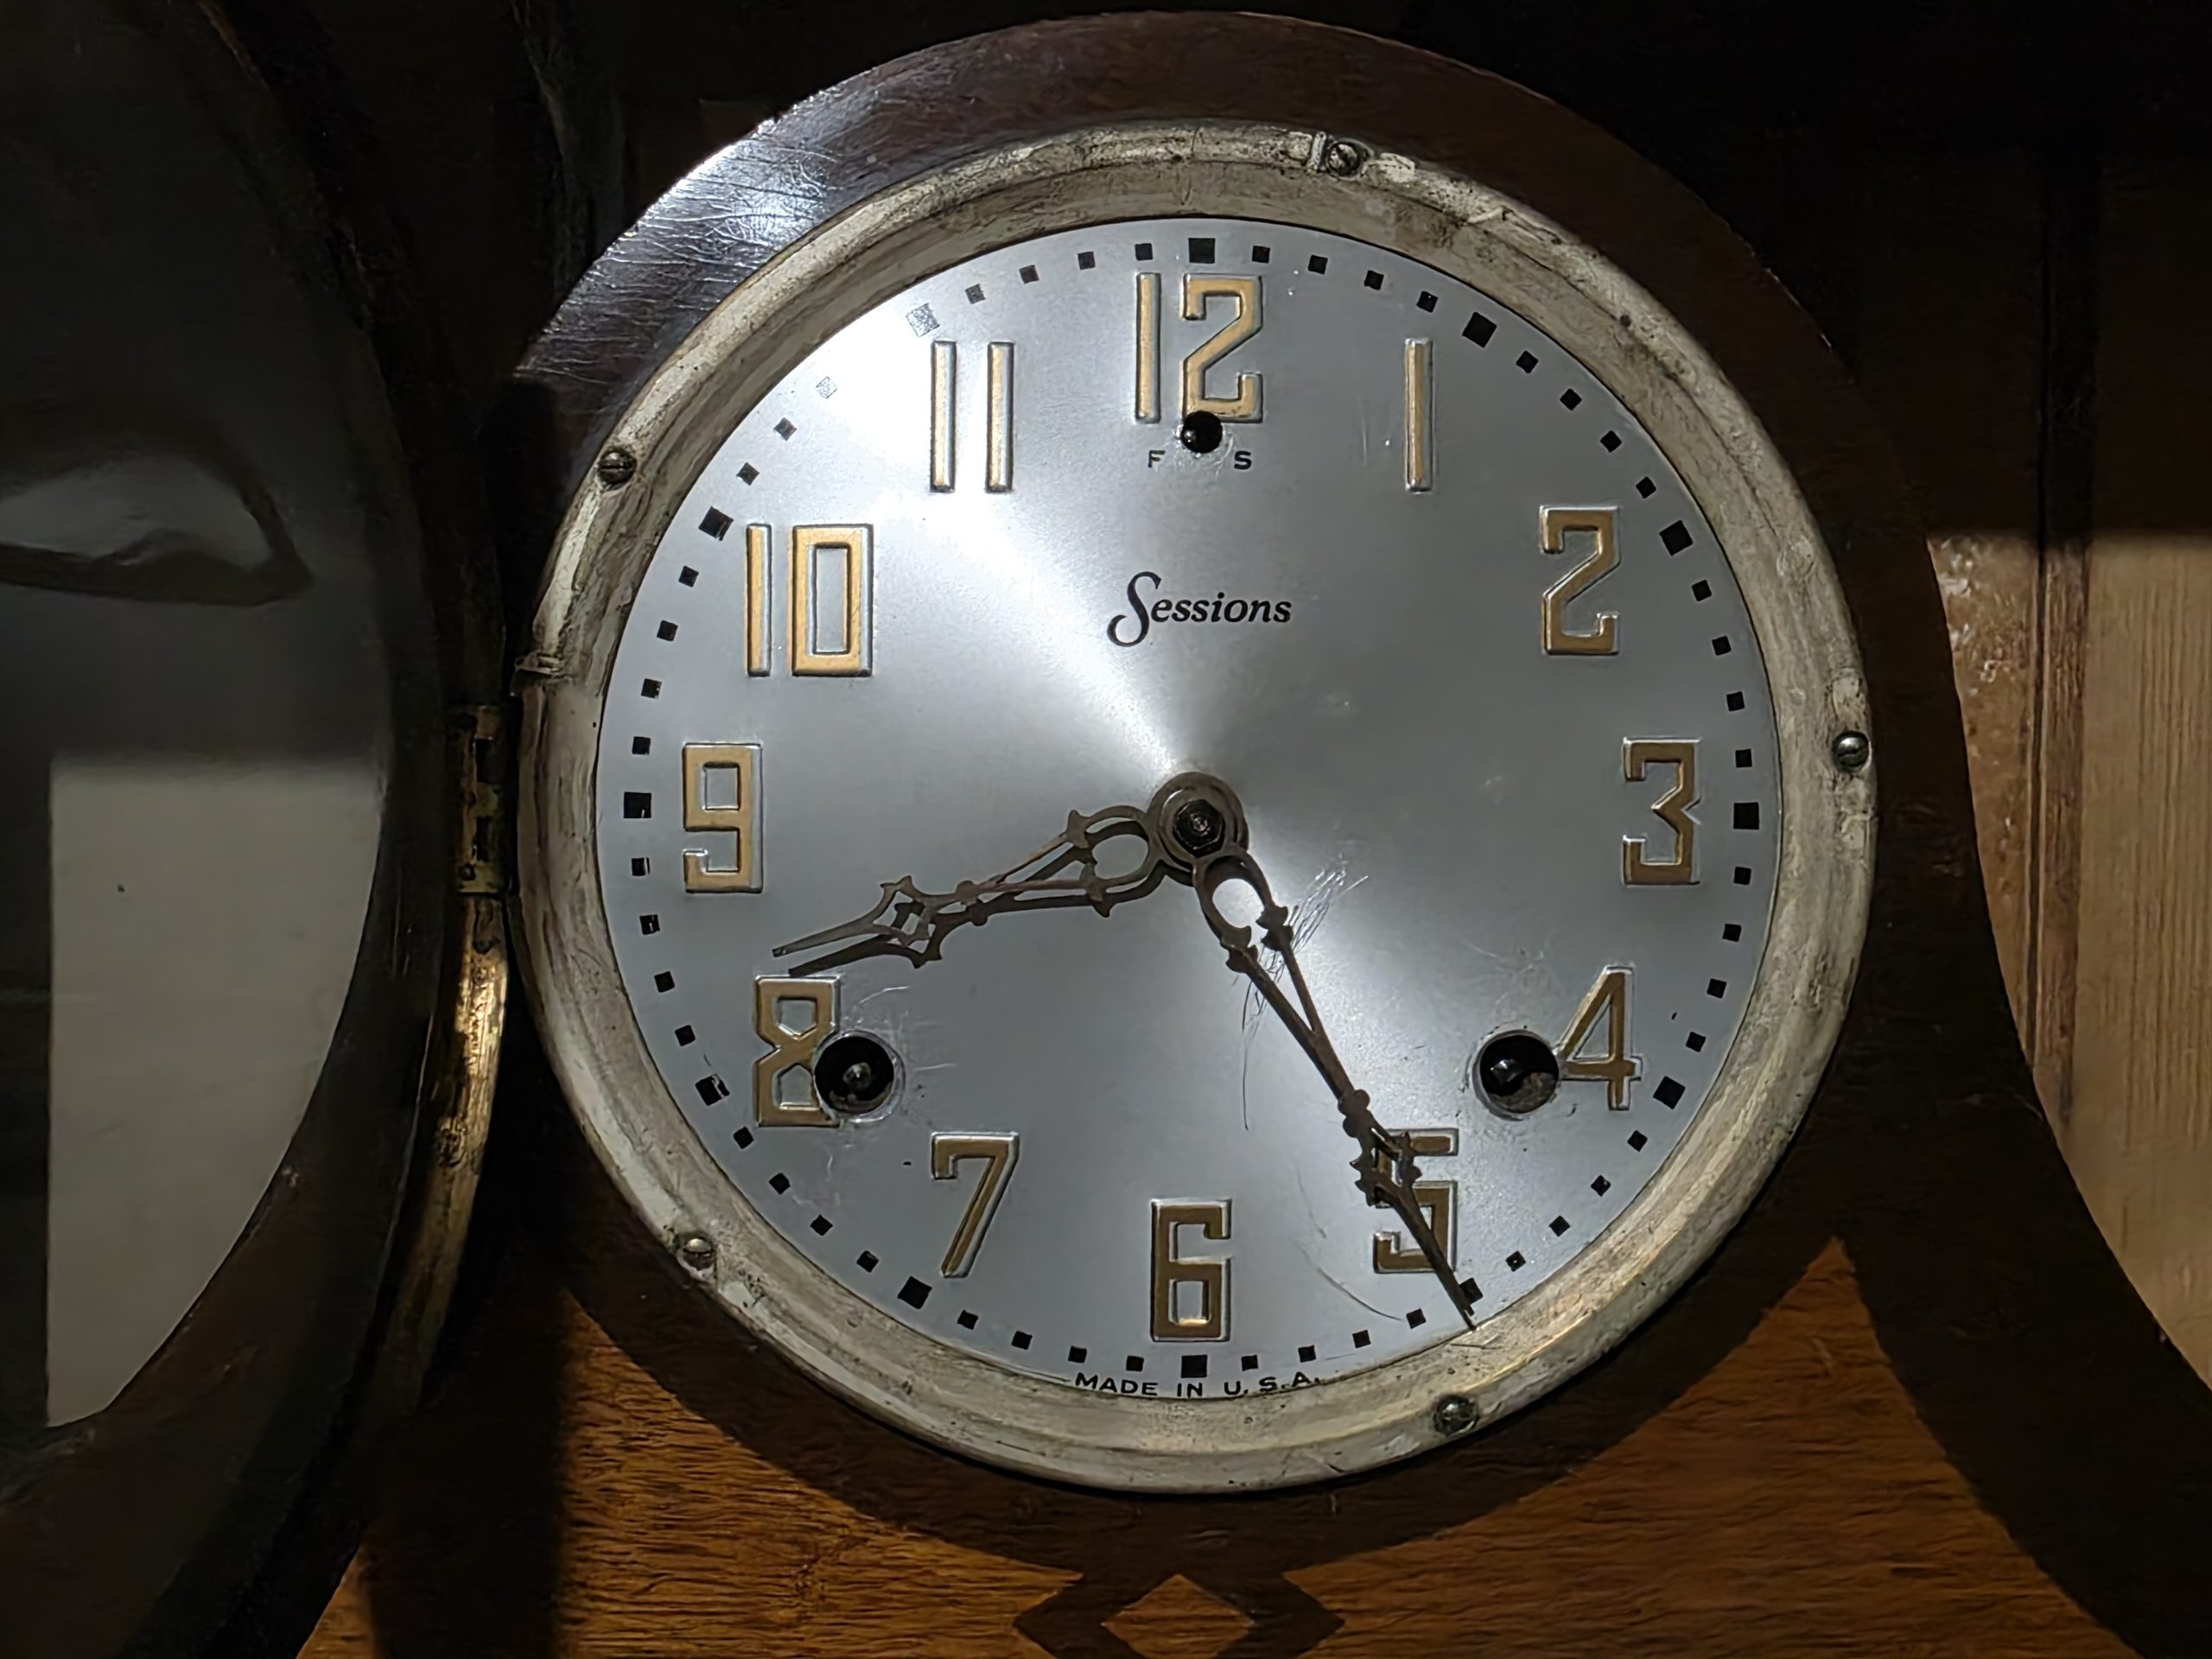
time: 8:24
